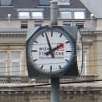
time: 1:56
